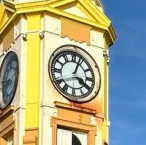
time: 4:03
